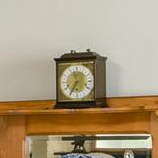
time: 11:35
